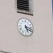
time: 5:18
